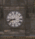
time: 8:41
